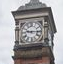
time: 9:15
